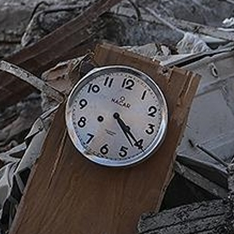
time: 4:20
